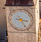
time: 3:25
